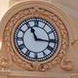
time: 11:16
